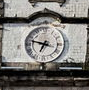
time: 6:47
